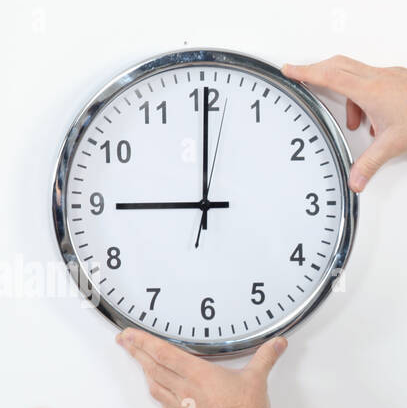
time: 9:00
